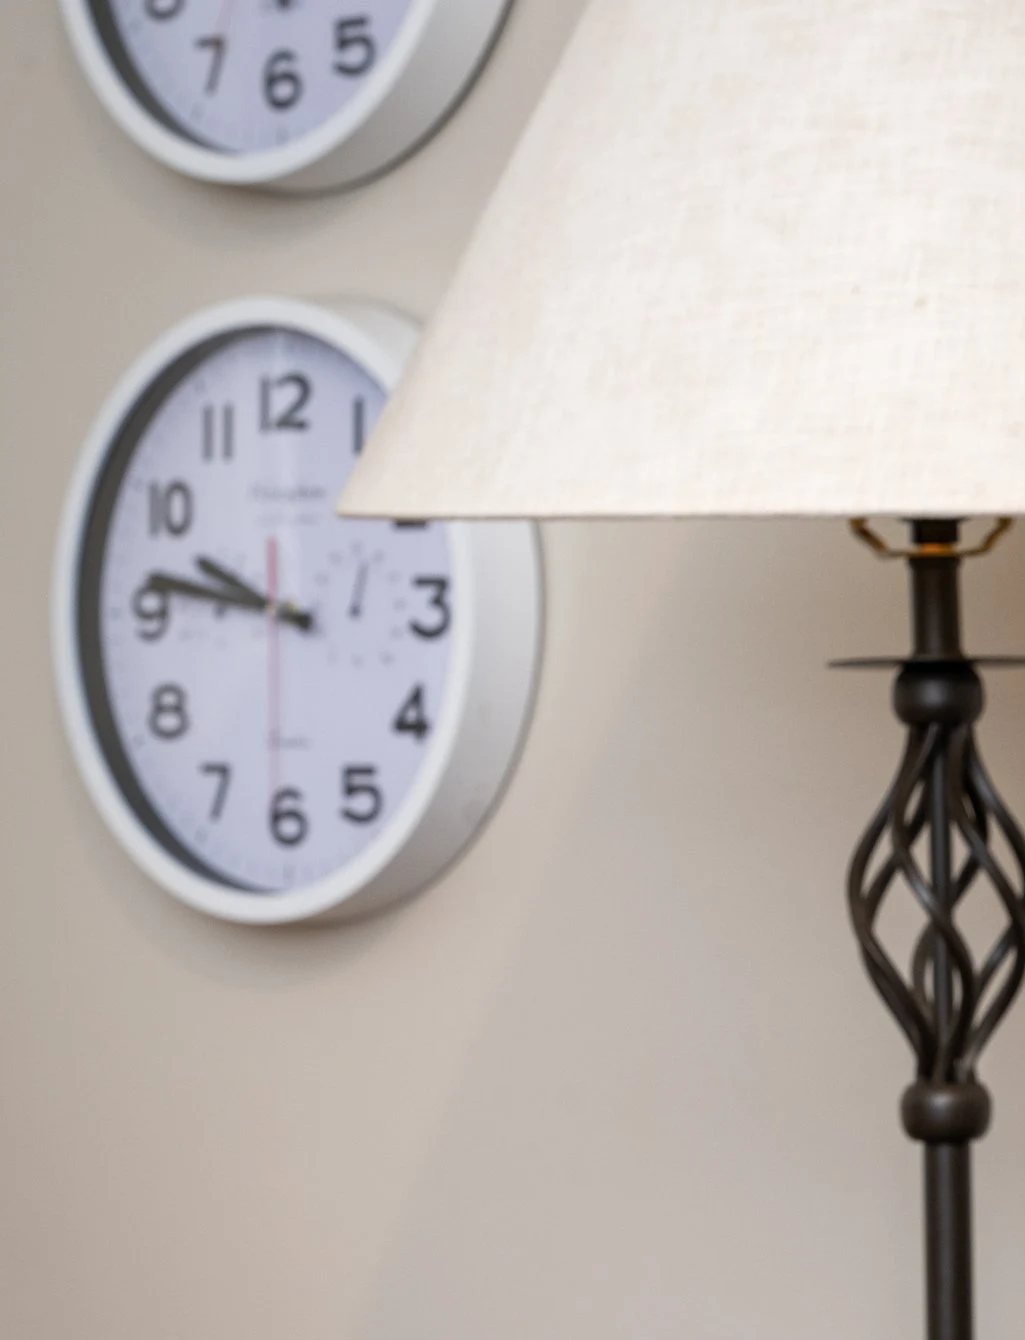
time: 9:46
